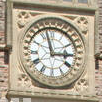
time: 2:57
